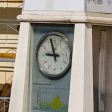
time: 8:57
